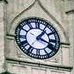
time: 1:18
